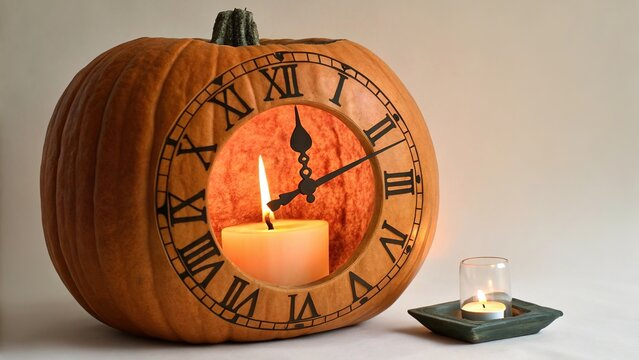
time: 12:11
